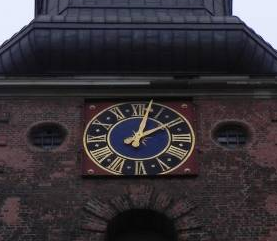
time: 2:02
